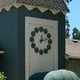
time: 12:13
